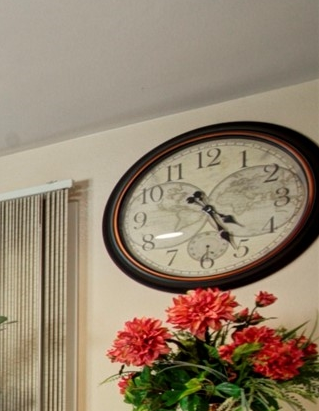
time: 4:25
